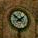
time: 1:50
